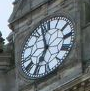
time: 6:58
